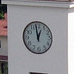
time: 12:58
